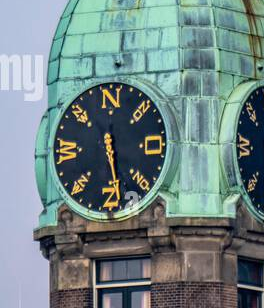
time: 5:26
